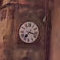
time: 7:17
